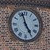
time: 4:57
